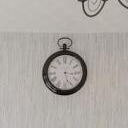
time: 3:27
